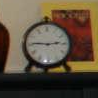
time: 2:45
